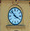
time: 3:52
